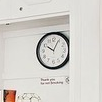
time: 10:04
